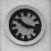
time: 10:17
